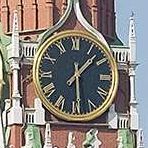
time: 1:29
